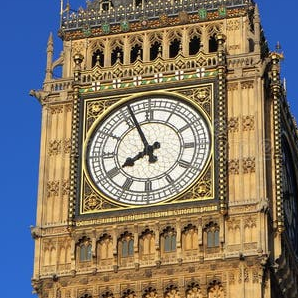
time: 7:55
